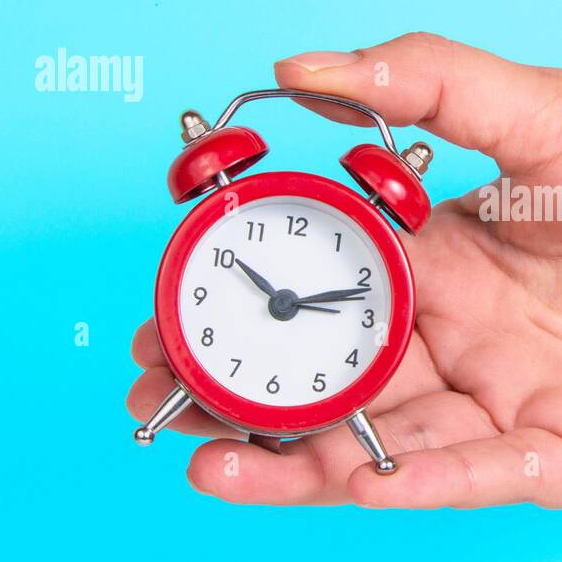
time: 10:12
